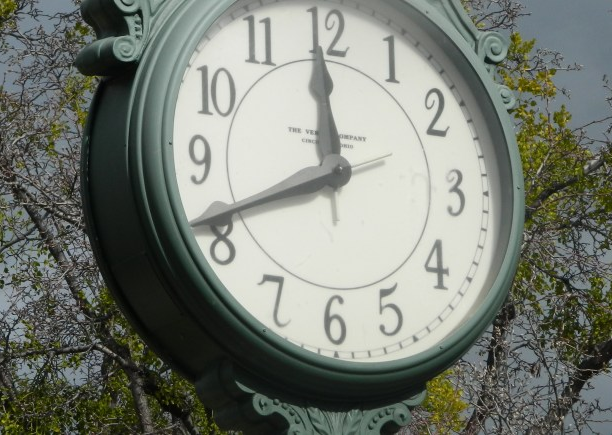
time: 11:41
